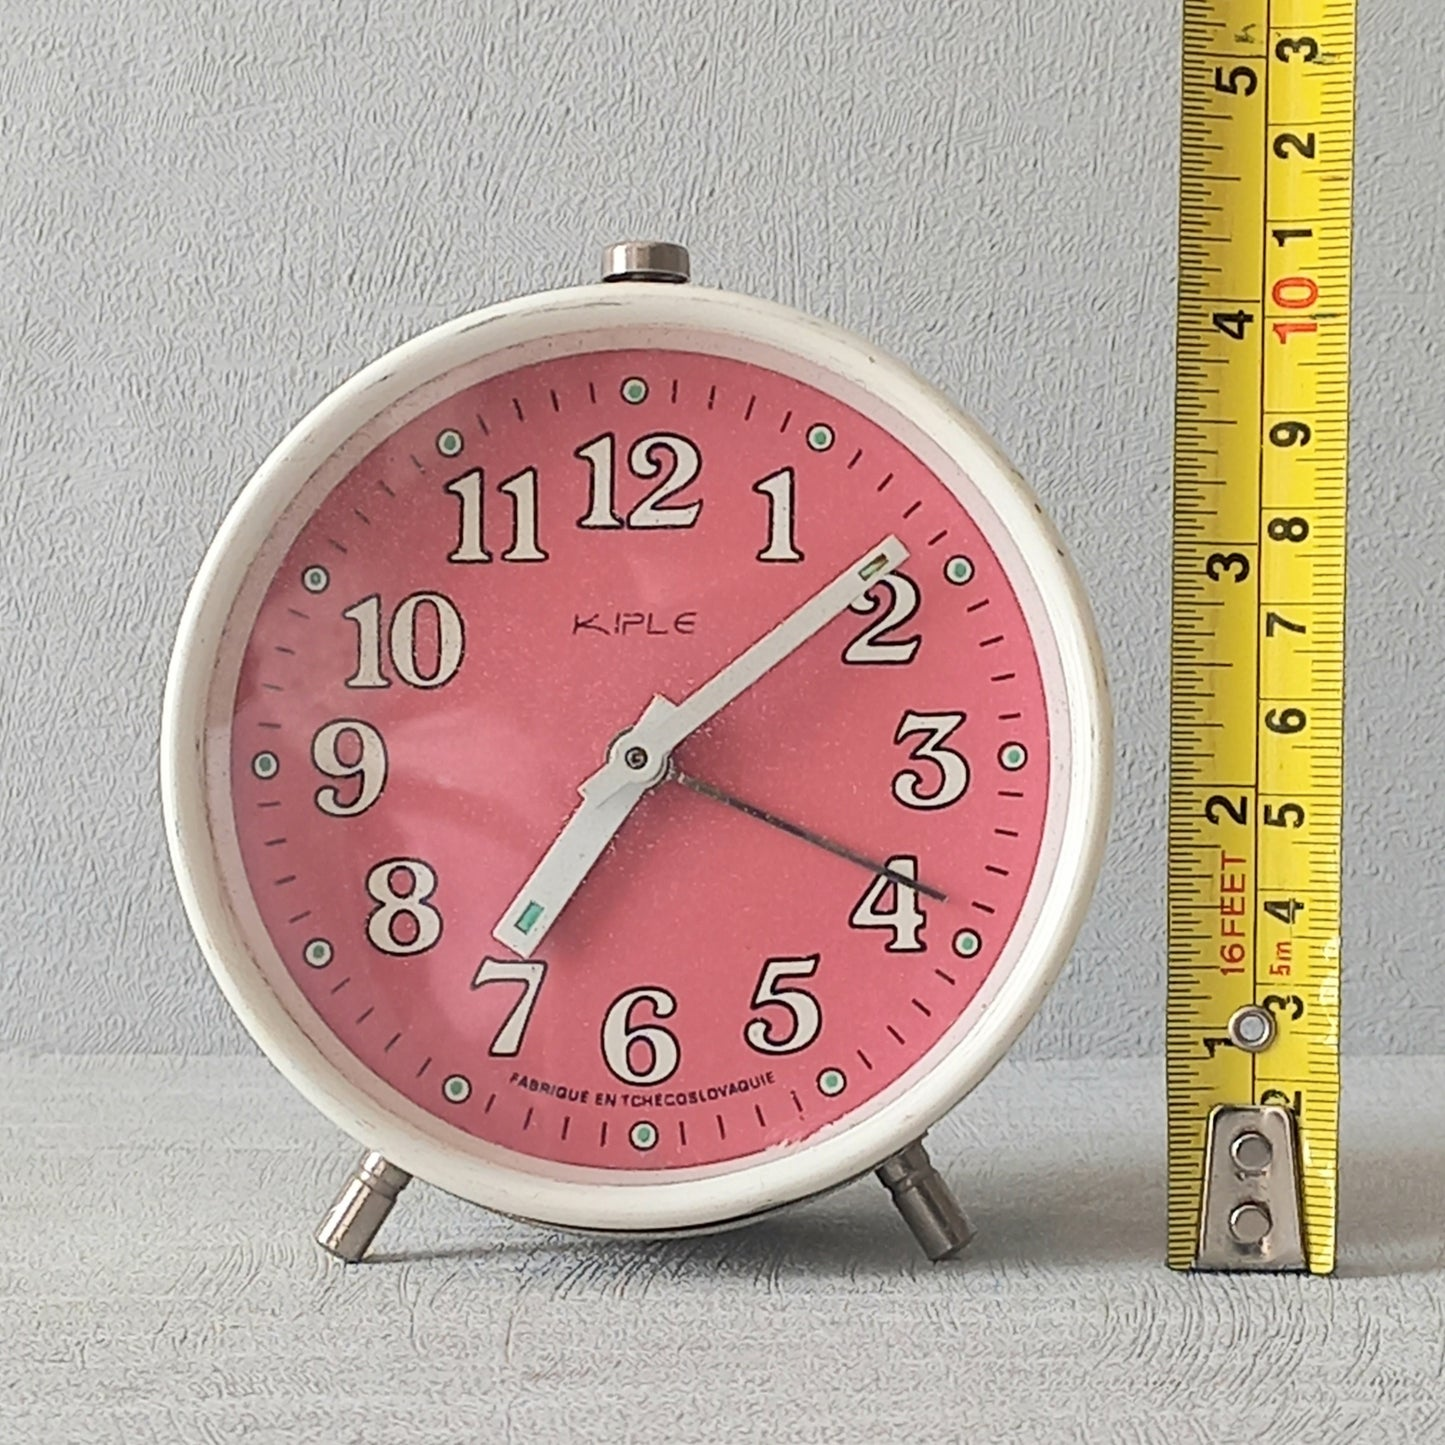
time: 7:08
